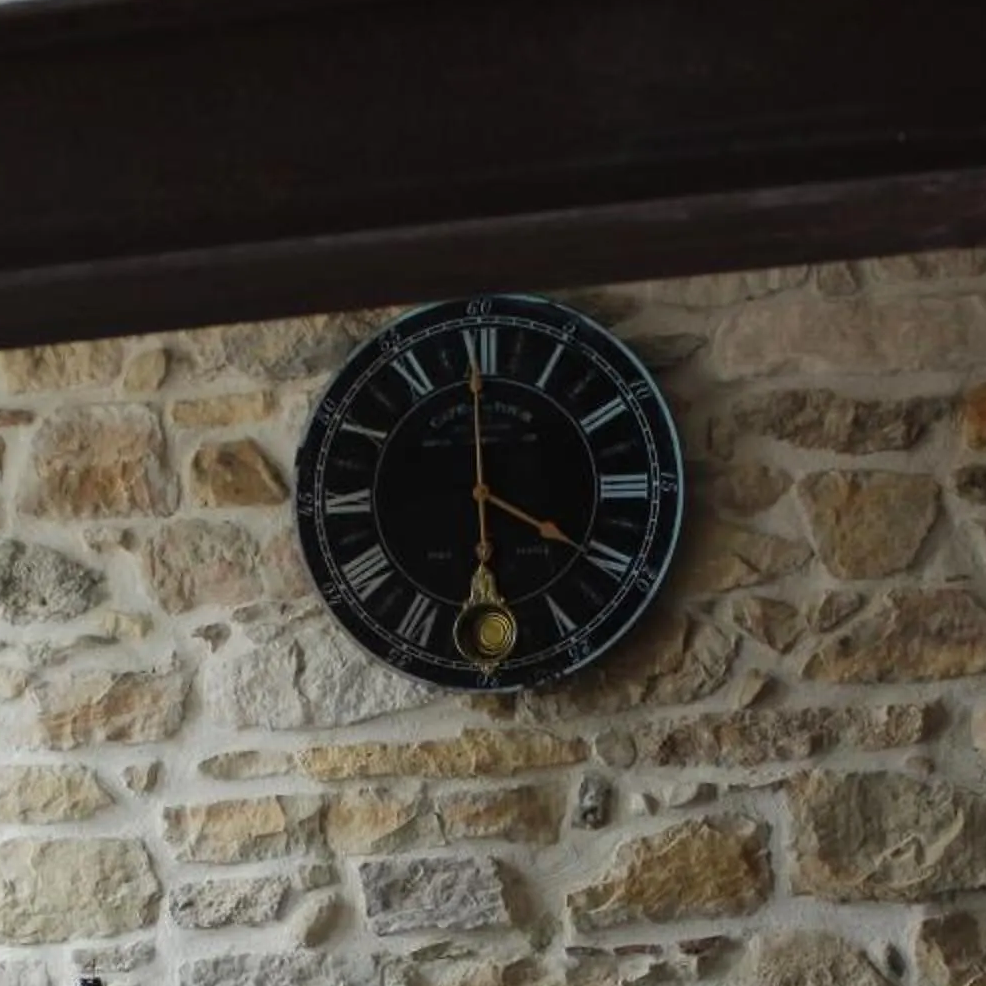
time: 3:59
